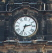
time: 2:33
